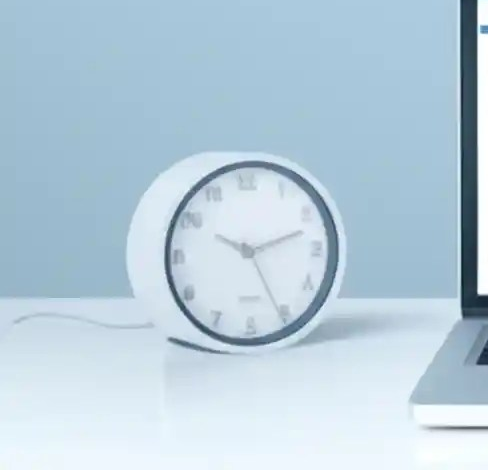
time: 10:12
